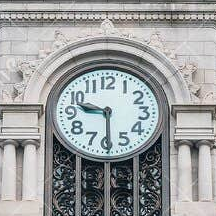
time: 9:29
